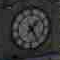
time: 1:24
